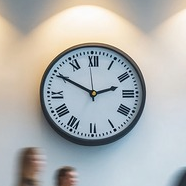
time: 2:49
